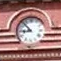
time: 8:52
